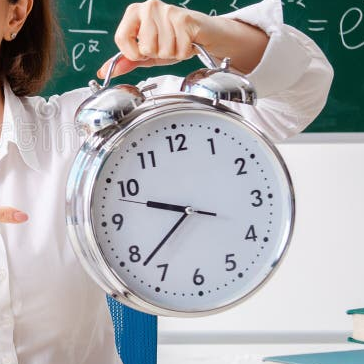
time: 9:38
